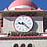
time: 9:22
